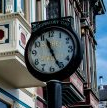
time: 11:25
